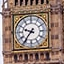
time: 9:36
